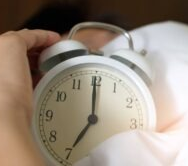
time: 7:00
